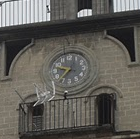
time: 9:36
